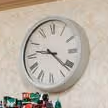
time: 9:21
